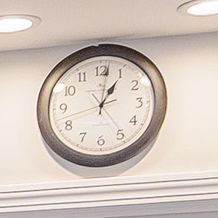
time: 1:01
